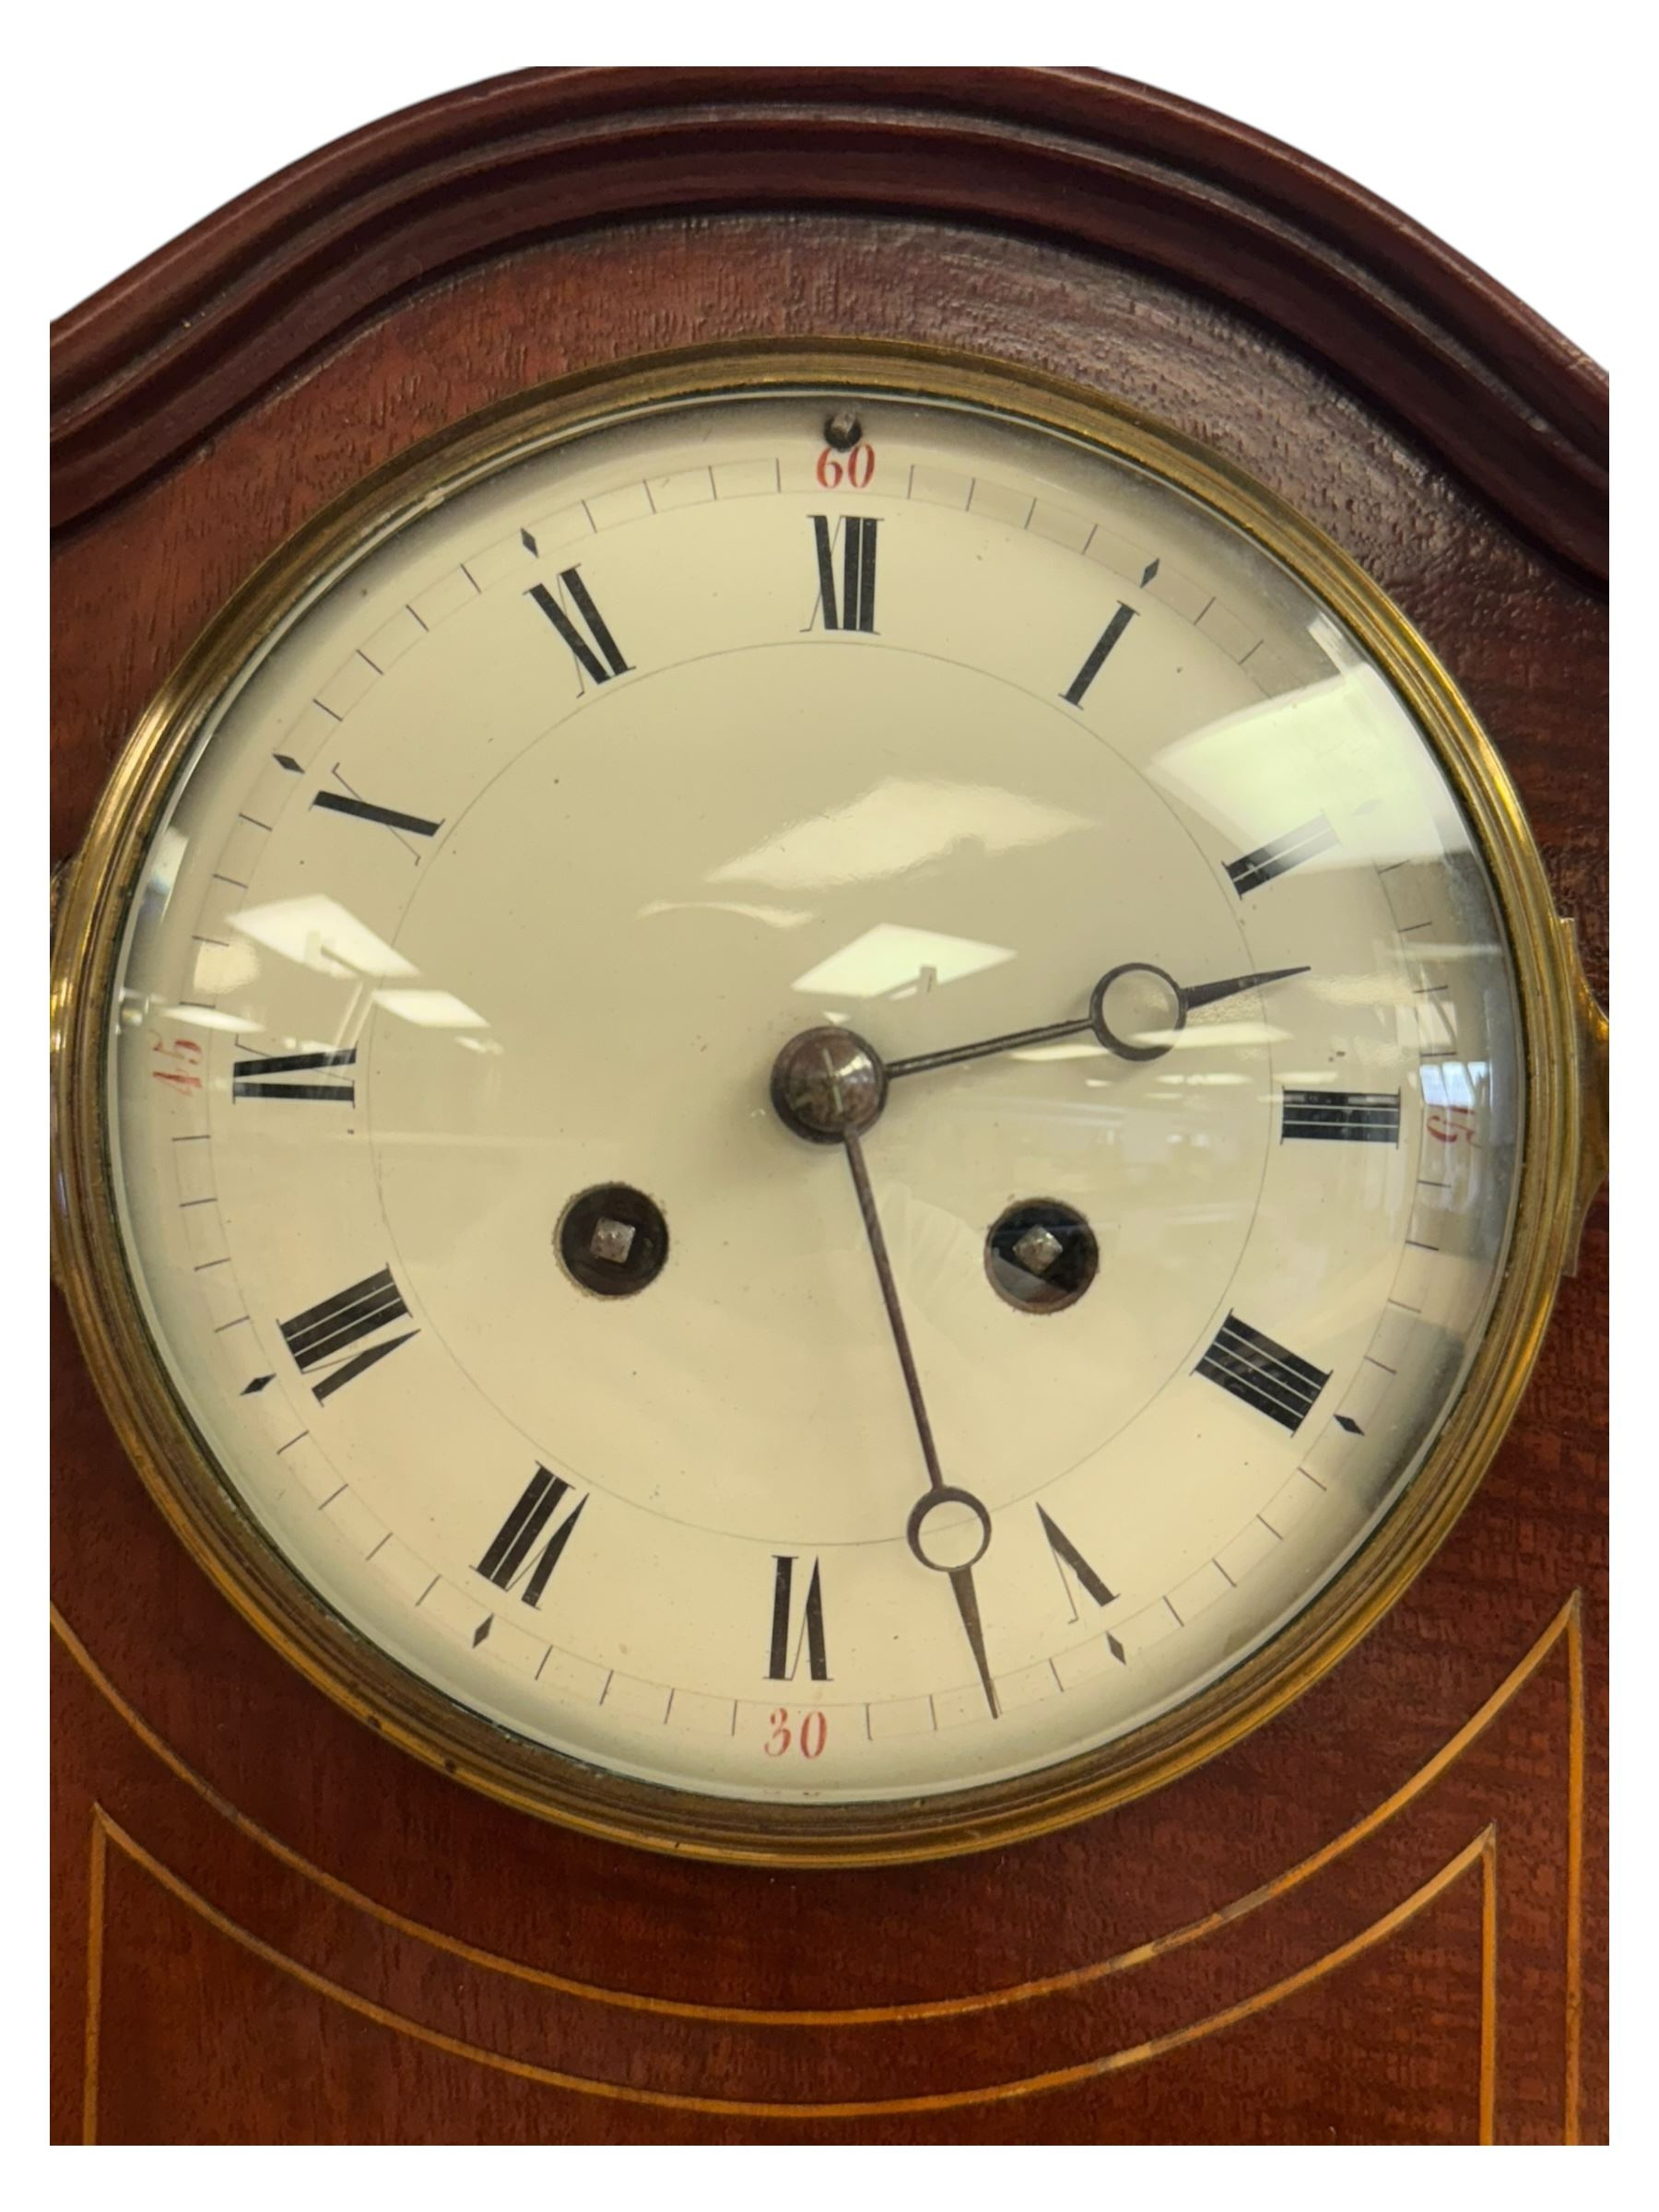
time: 2:26
